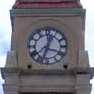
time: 12:33
